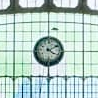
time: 4:10
